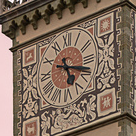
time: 5:18
